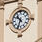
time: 10:33
